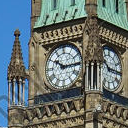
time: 10:14
